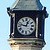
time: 12:47
